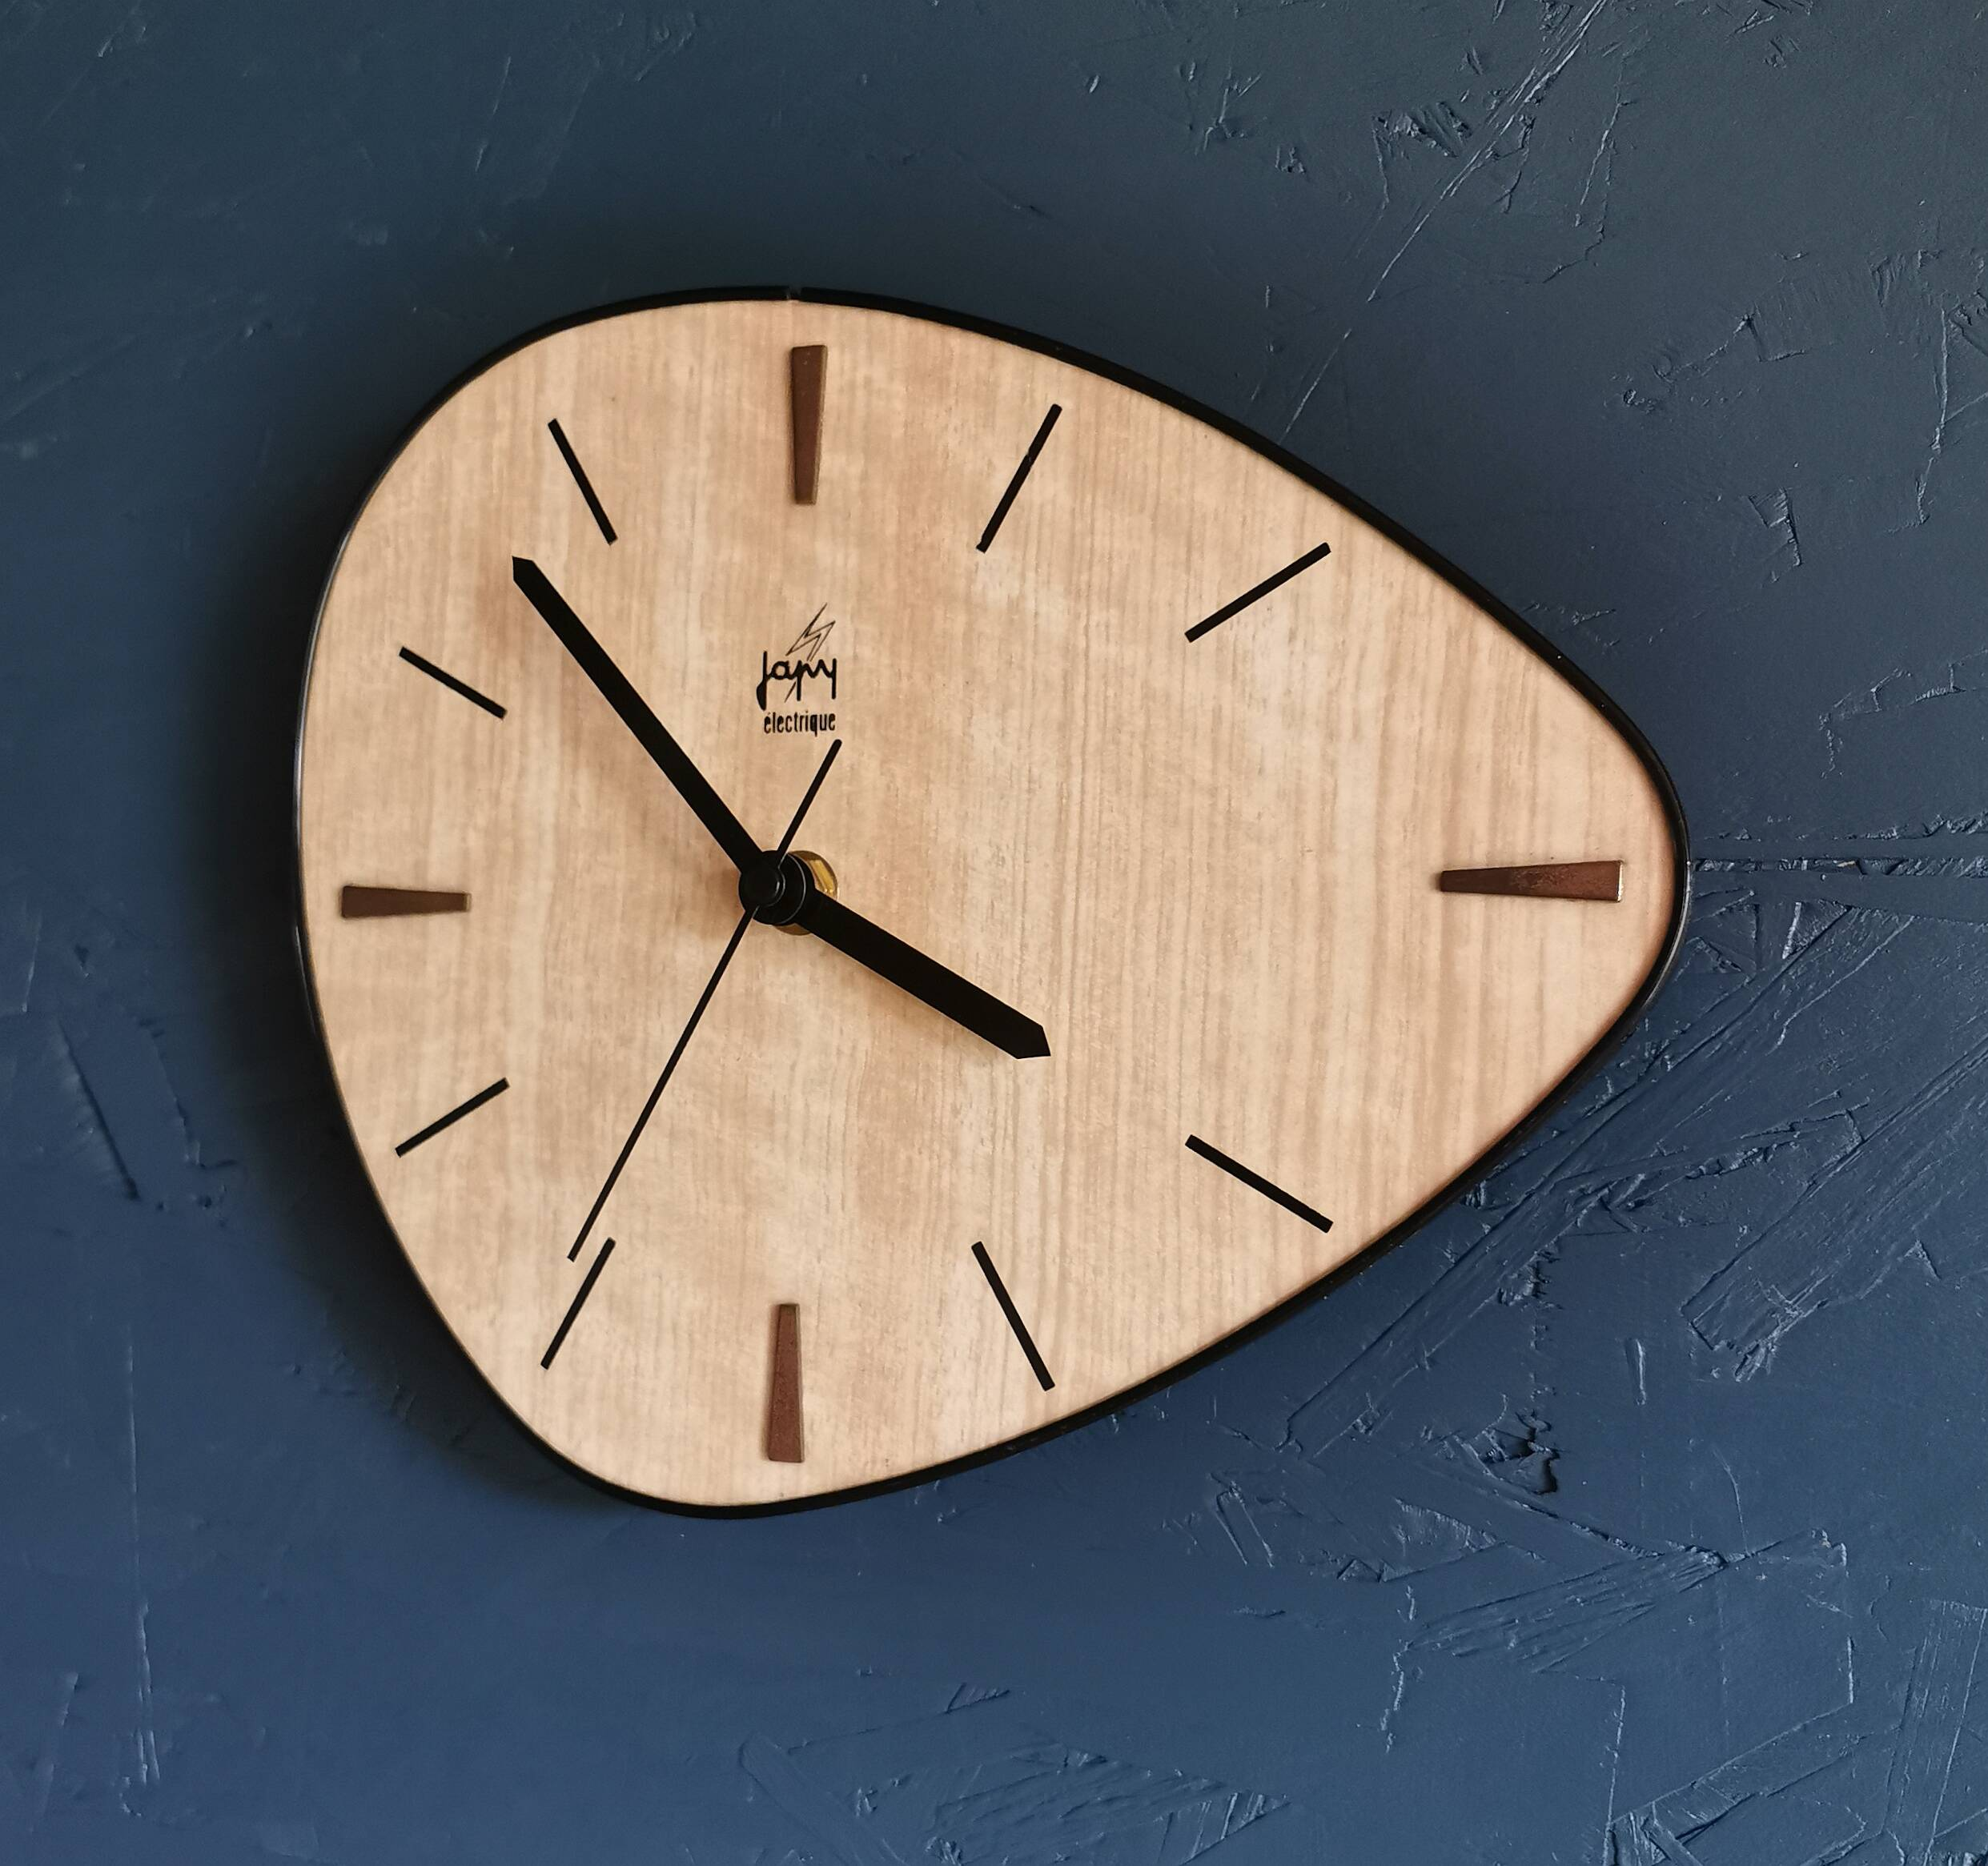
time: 3:52
